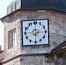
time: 6:14
